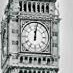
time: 12:01
